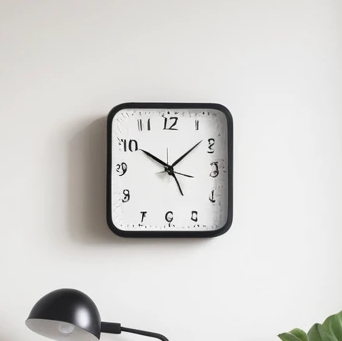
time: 10:08
